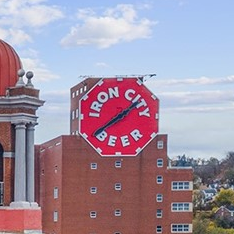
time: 1:38
